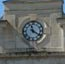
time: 11:20
